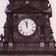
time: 11:57
